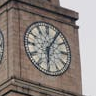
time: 6:05
